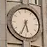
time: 5:34
